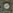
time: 4:10
